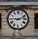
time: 9:11
